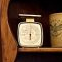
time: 6:01
